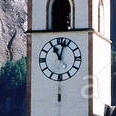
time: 11:02
